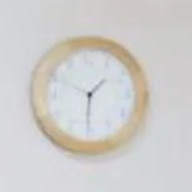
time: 1:30
